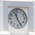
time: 11:25
